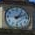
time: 1:11
